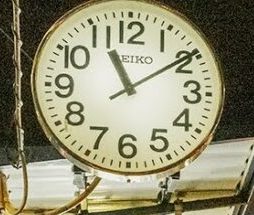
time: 11:09
